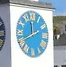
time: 11:40
